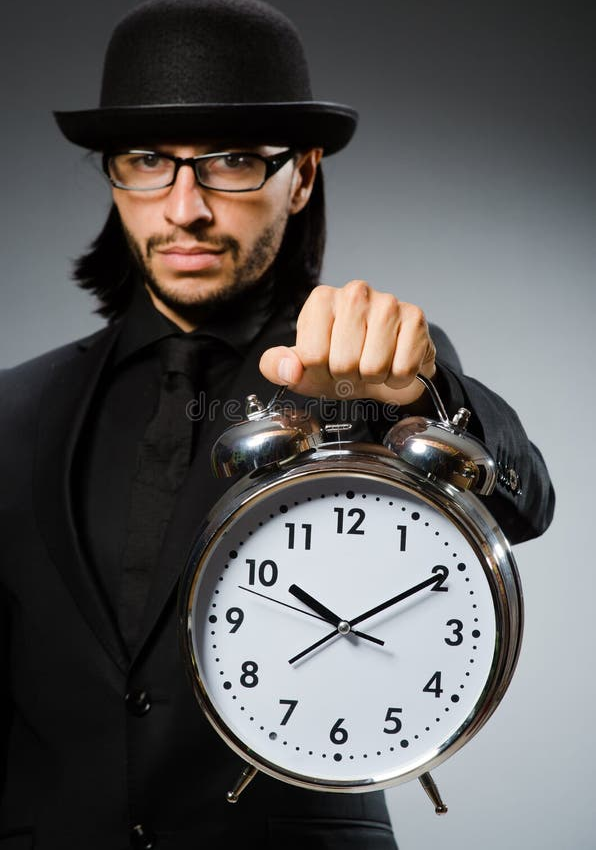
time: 10:10
